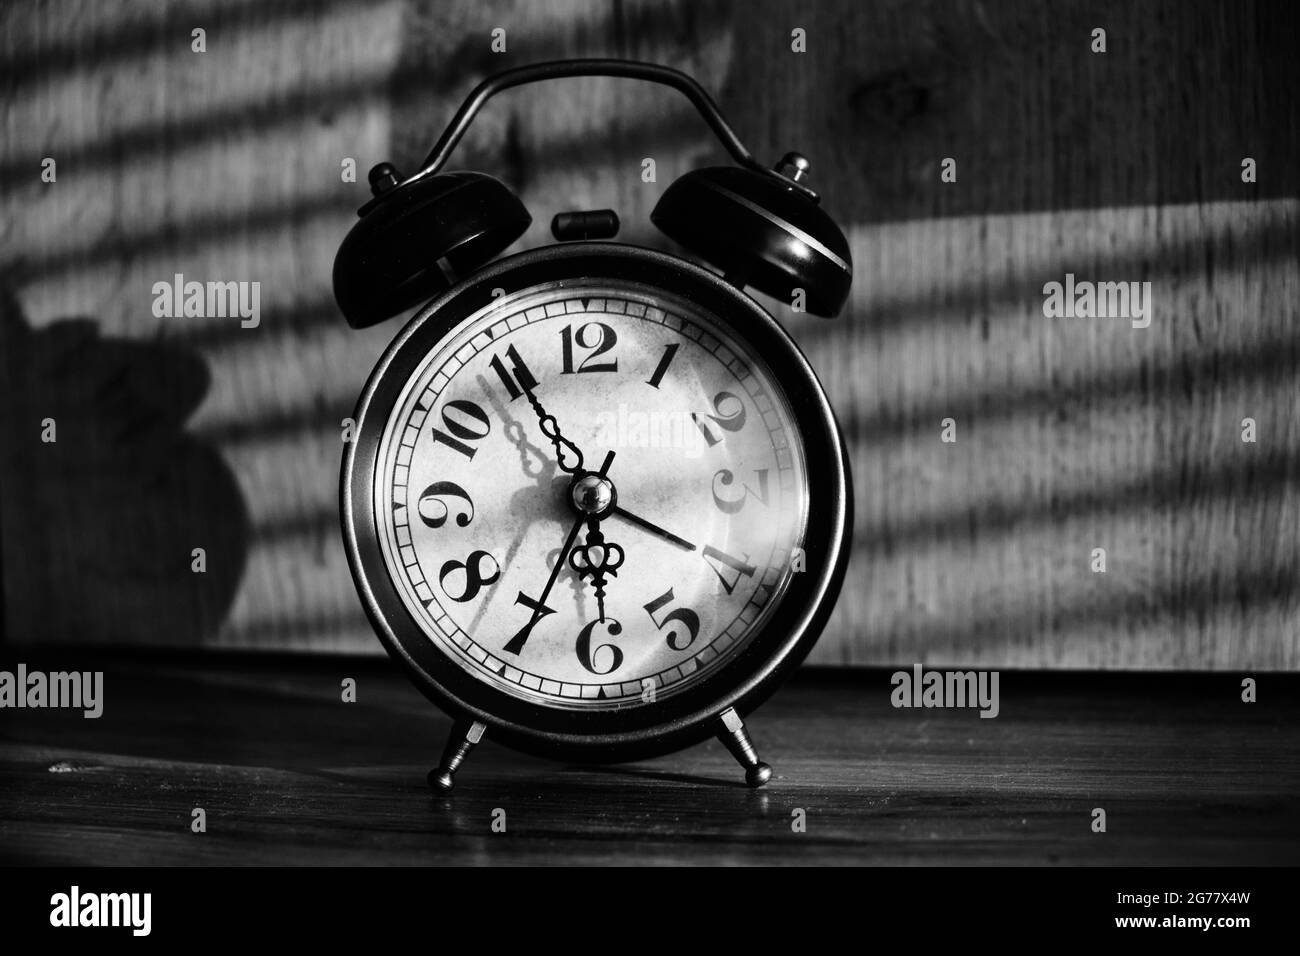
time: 6:55
